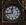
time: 11:43
